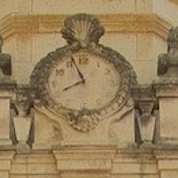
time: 7:56
